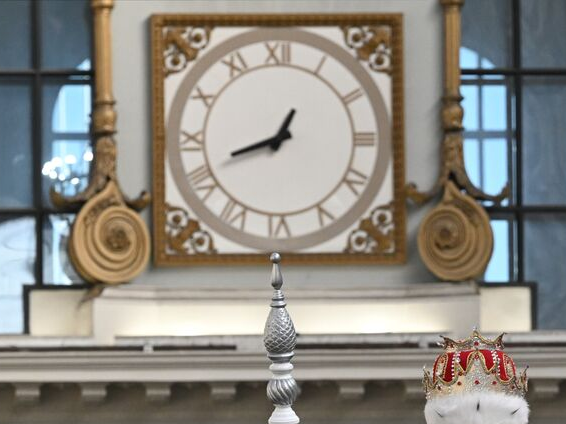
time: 12:41
